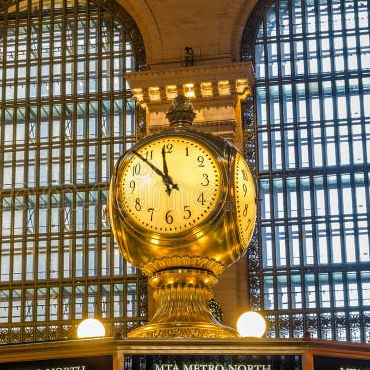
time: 11:52
